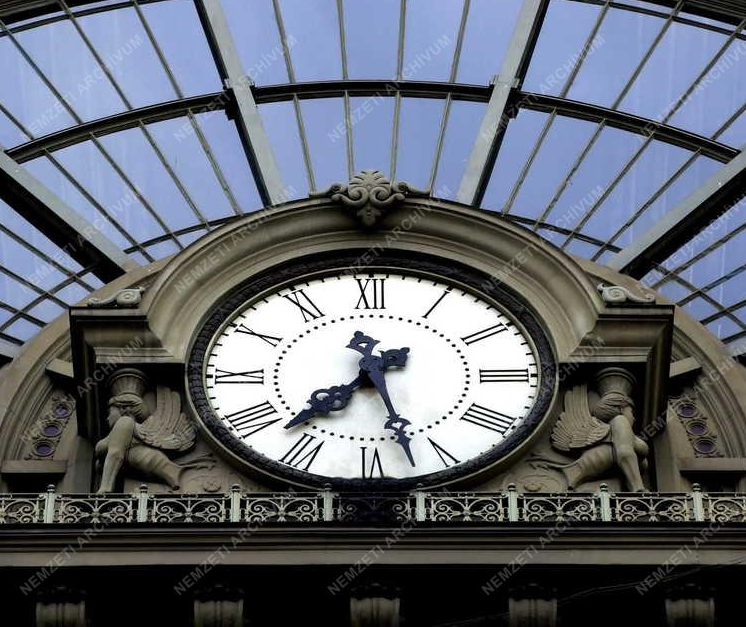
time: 7:27
